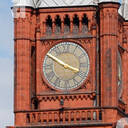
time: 3:50
